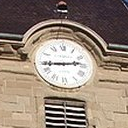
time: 2:44
